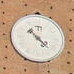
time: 4:22
